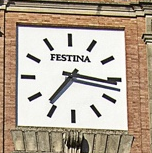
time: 7:16
